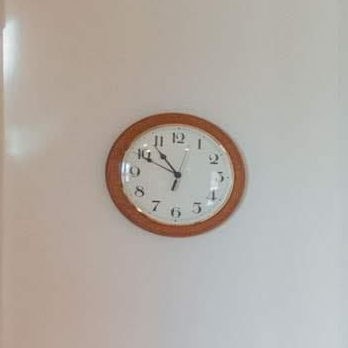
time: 10:49
